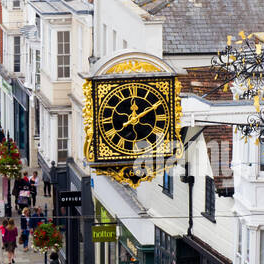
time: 12:09
